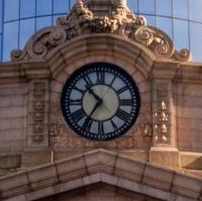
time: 10:35
